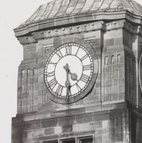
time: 4:29
